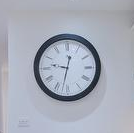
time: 12:32
